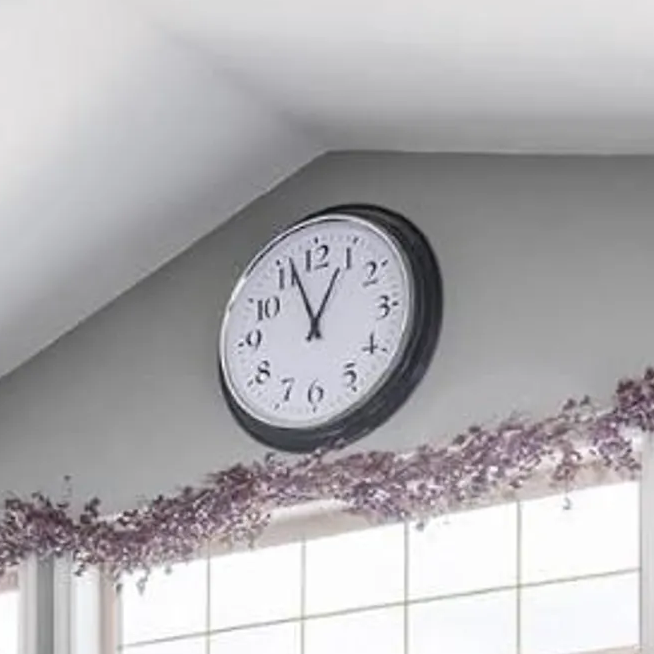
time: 12:56
